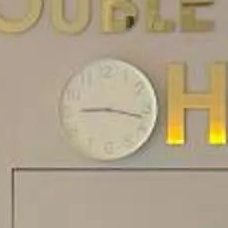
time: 9:17
